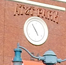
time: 4:54
